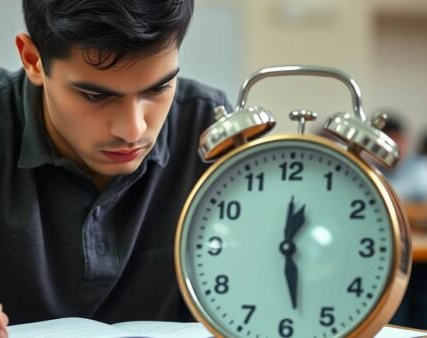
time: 12:28
